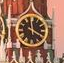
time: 3:59
